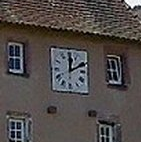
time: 12:10
